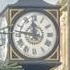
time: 11:46
